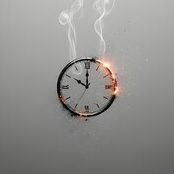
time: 10:00
